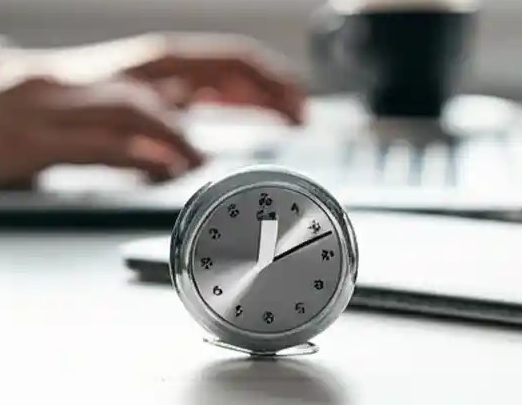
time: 12:11
